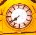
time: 7:39
